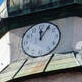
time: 12:05
